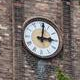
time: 3:01
